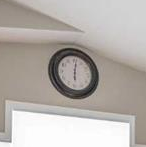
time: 6:01
